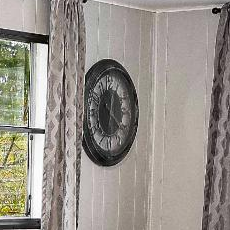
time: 12:21
